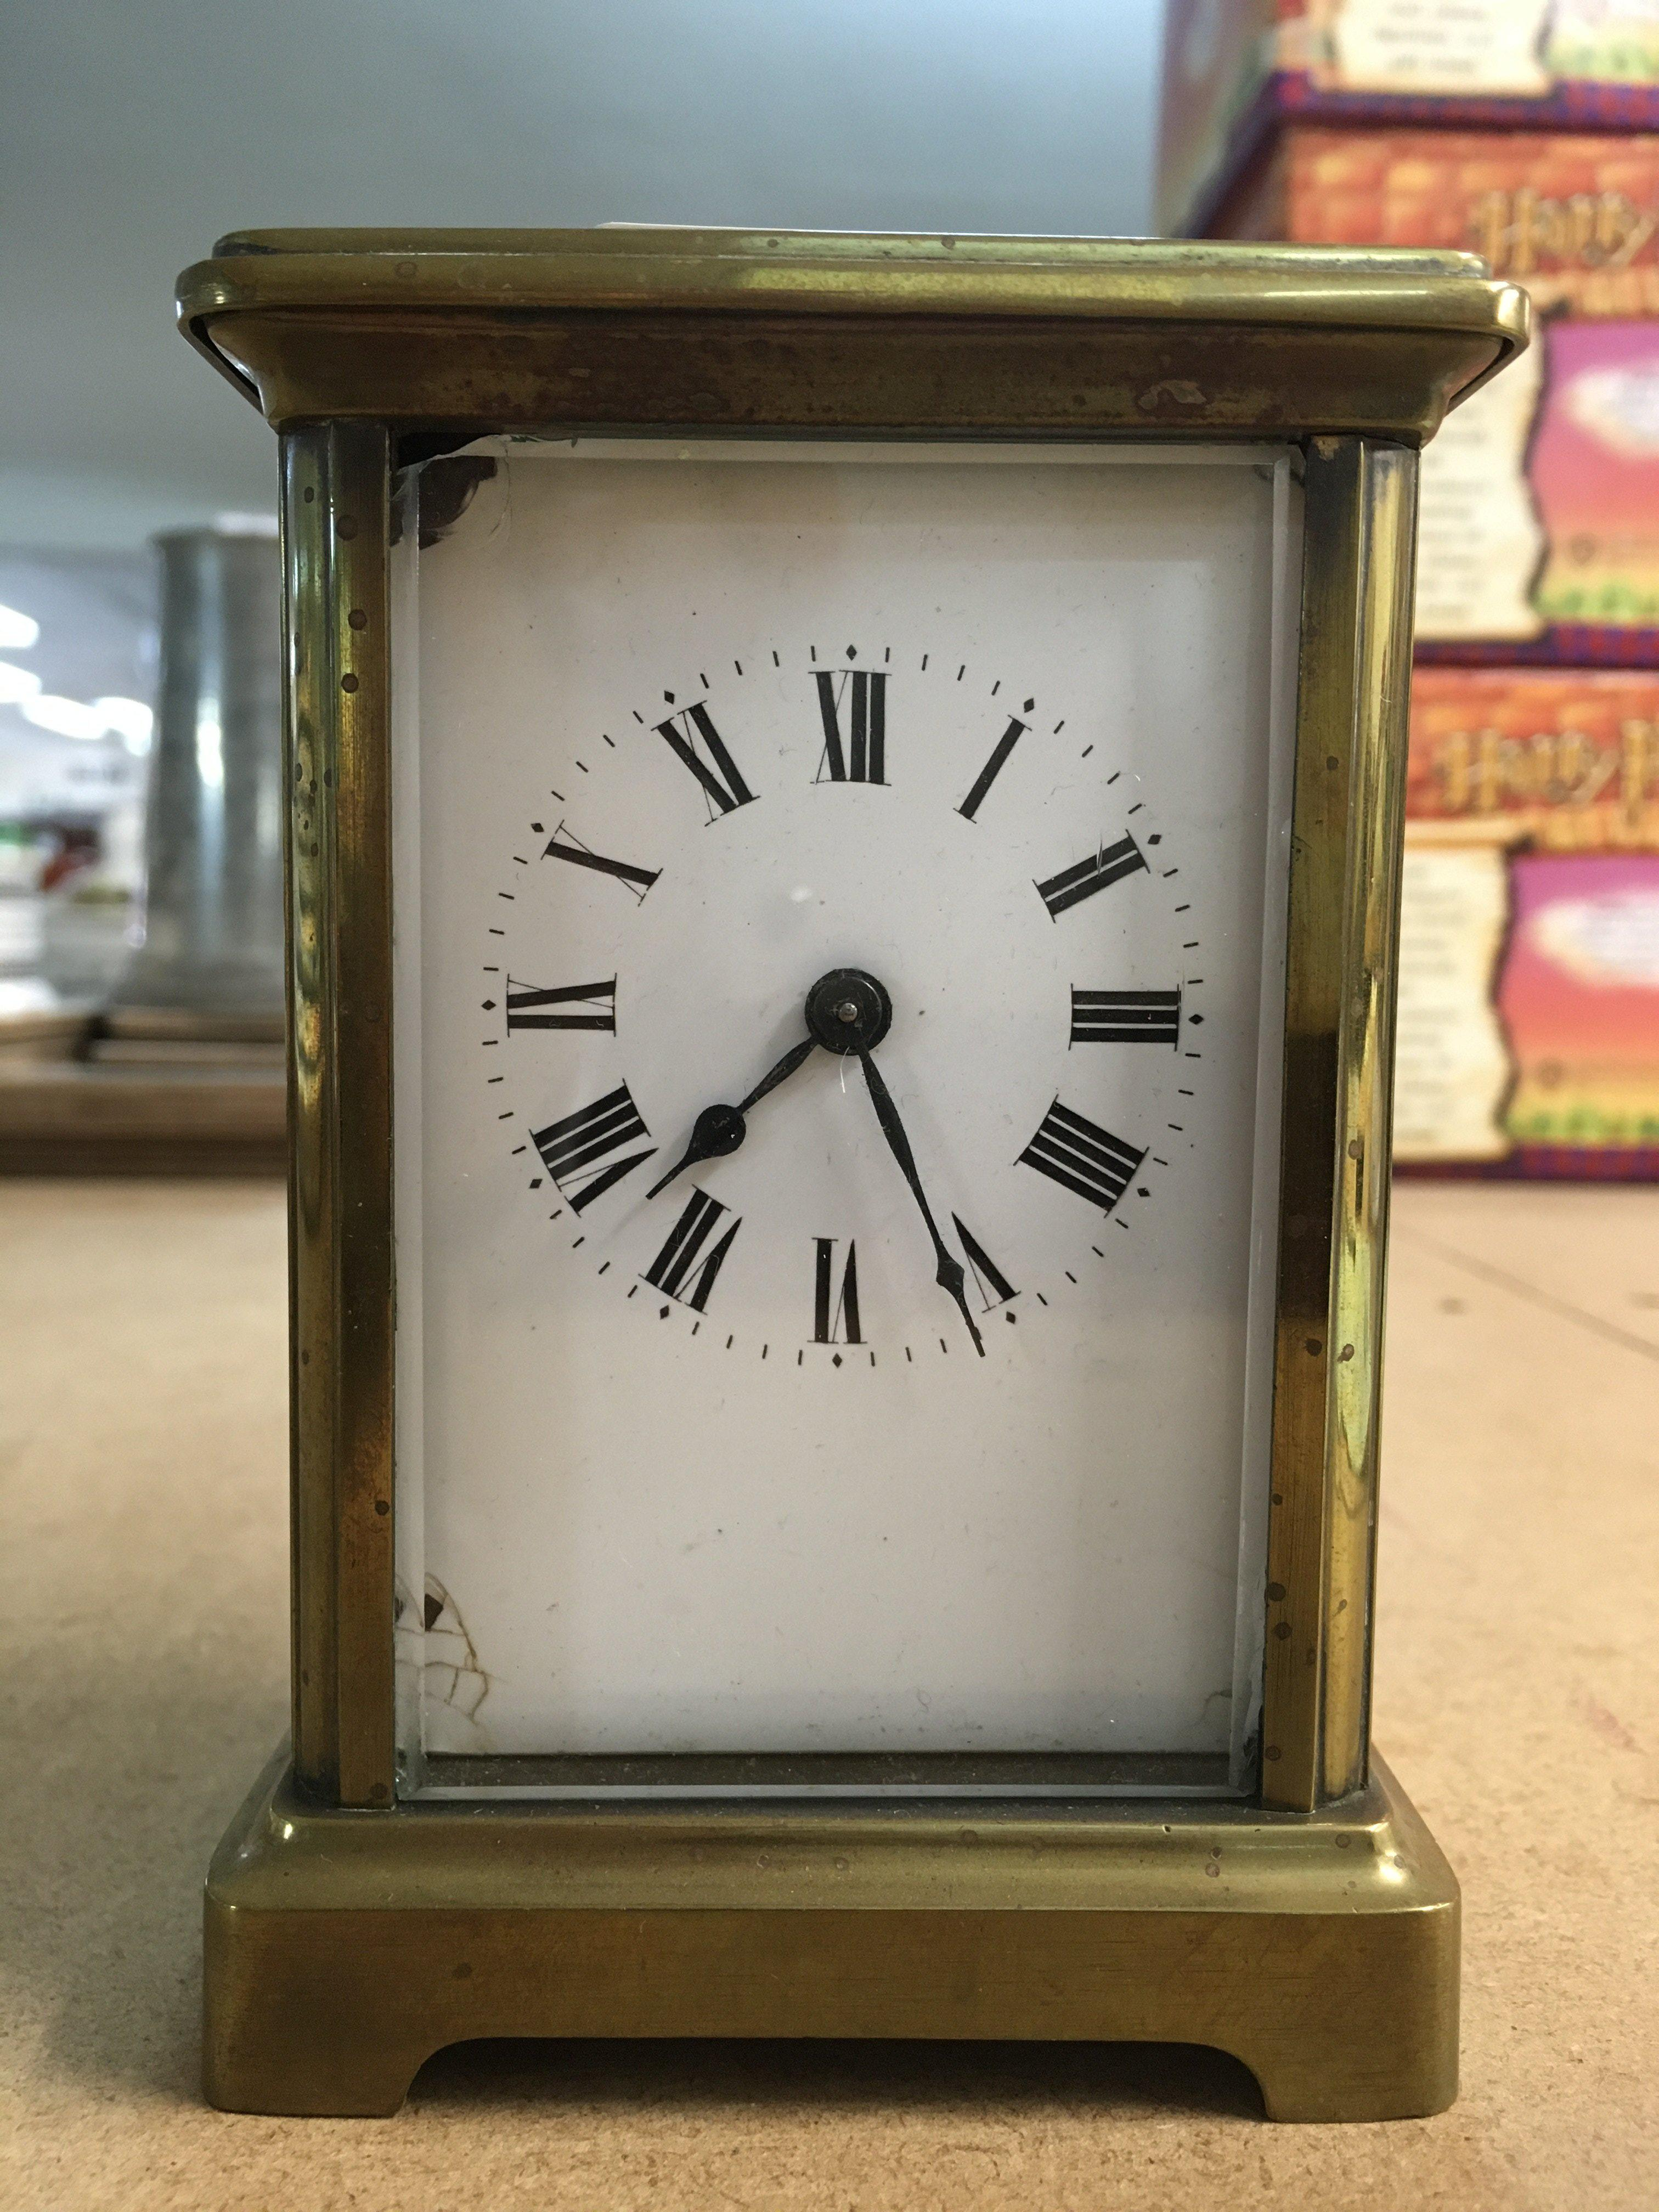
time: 7:25
